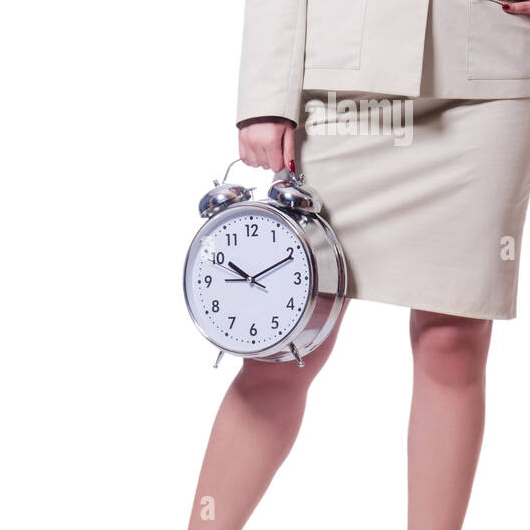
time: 10:10
